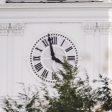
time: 3:57
